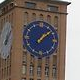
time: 1:08
